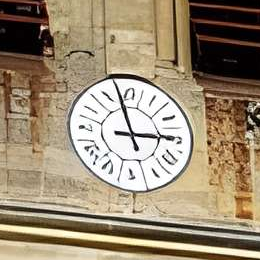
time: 2:57
